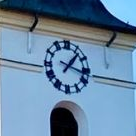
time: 1:17
